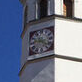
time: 9:22
